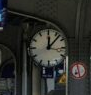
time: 12:07
